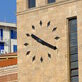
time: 10:19
